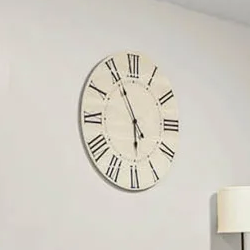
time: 5:55
